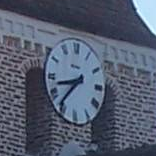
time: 8:37
